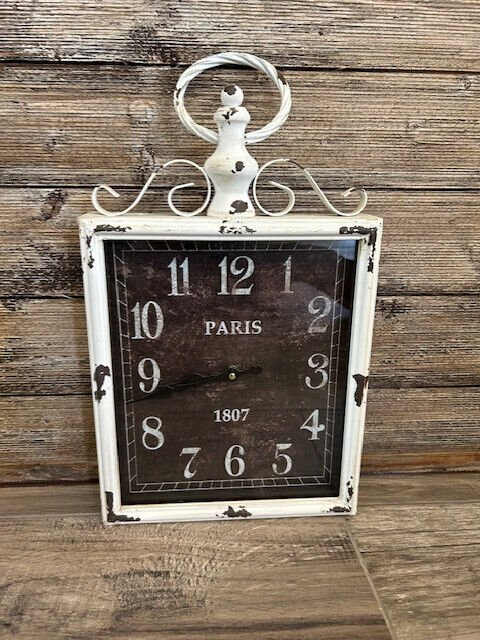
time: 8:43
